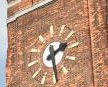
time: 1:28
